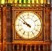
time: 9:52
